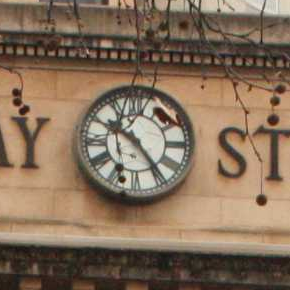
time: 10:24
